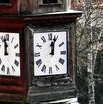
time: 12:03
